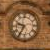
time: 9:35
